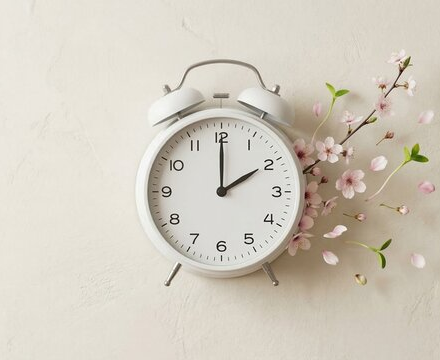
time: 2:00
